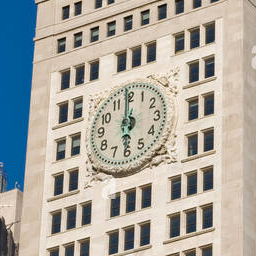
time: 5:59
